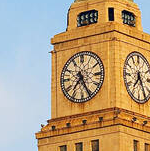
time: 7:25
